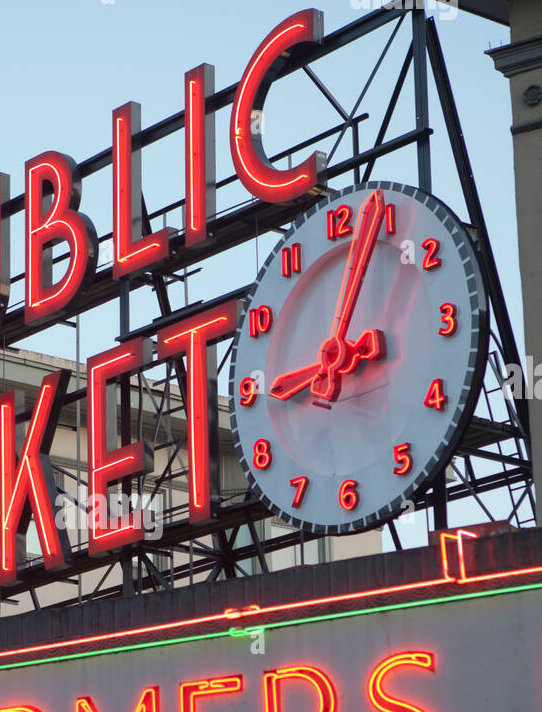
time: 9:03
